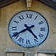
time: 4:39
